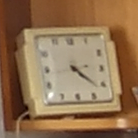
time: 4:21
